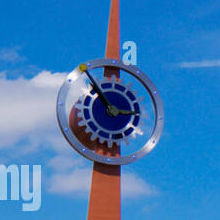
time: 2:53
